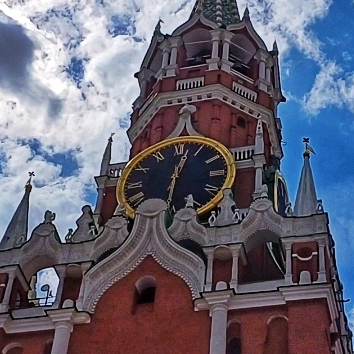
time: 12:30
